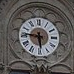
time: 5:46
